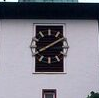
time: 8:09
